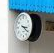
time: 3:21
